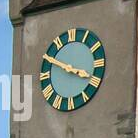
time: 3:49
